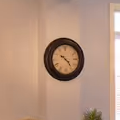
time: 10:23
